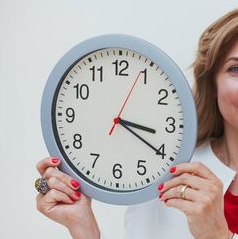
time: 3:20
